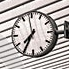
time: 7:34
